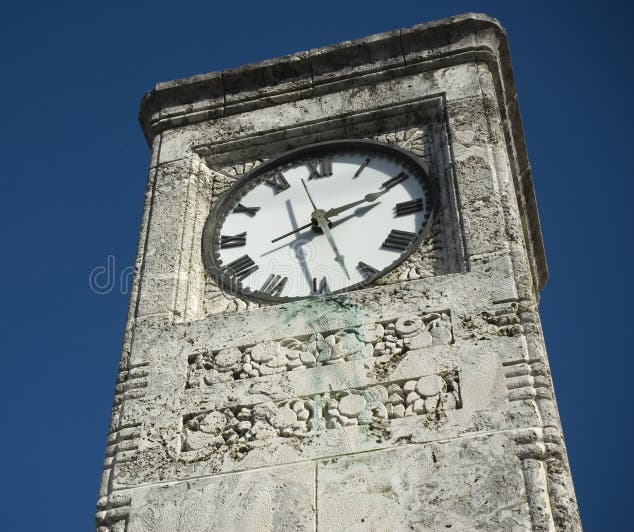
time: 2:26
